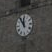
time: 11:55
